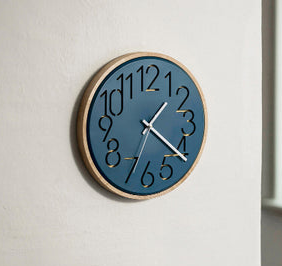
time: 1:21
